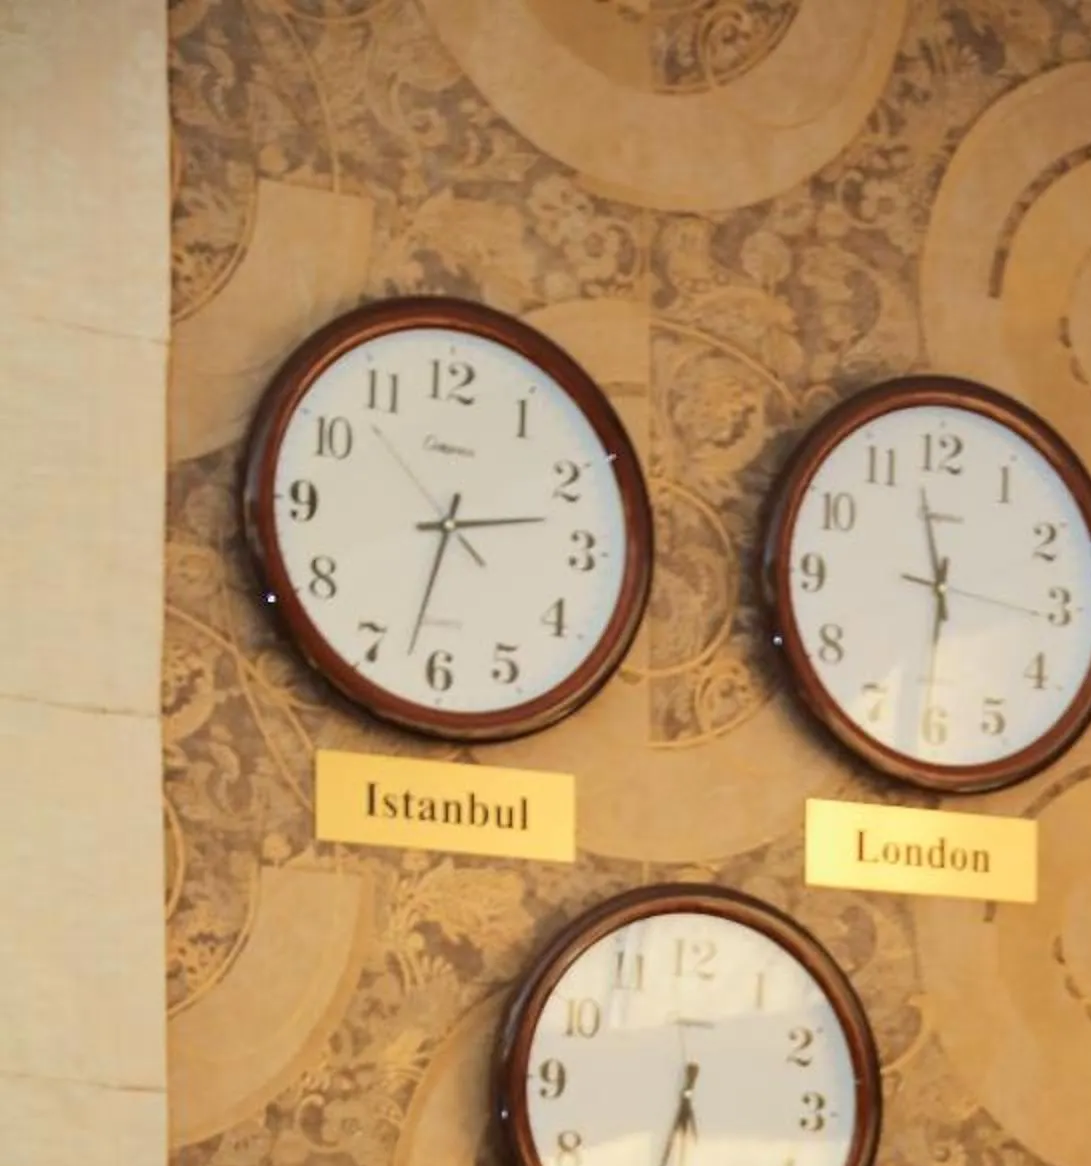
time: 2:32
